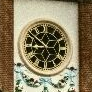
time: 8:51
